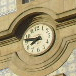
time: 7:46
